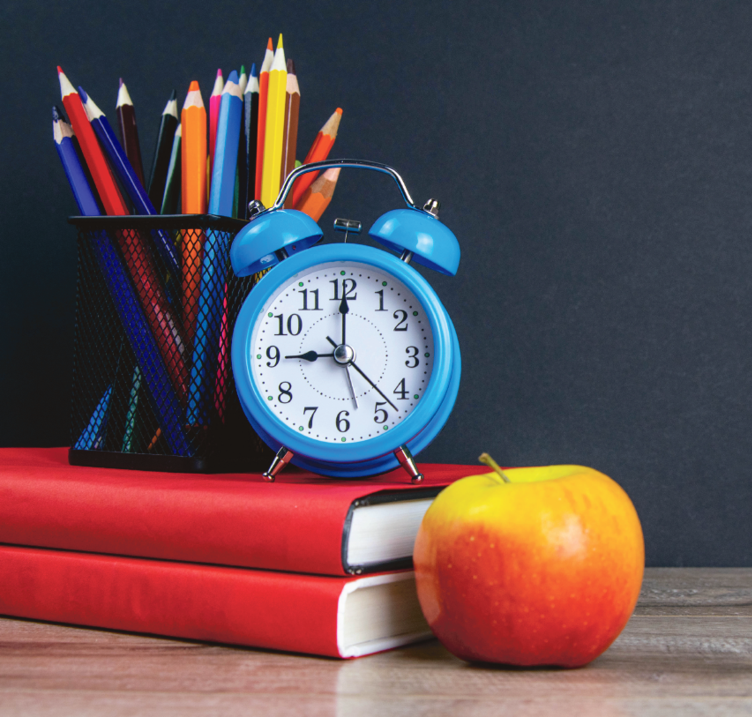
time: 9:00
